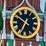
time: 6:50
